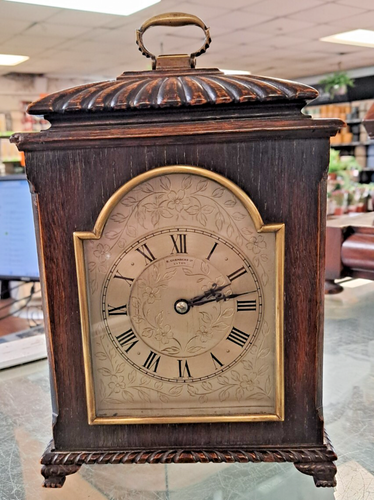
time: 2:14
